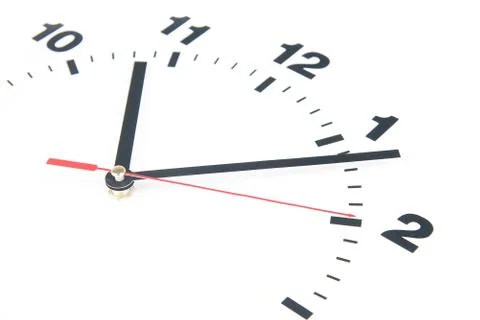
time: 3:03
